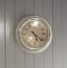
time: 5:21
